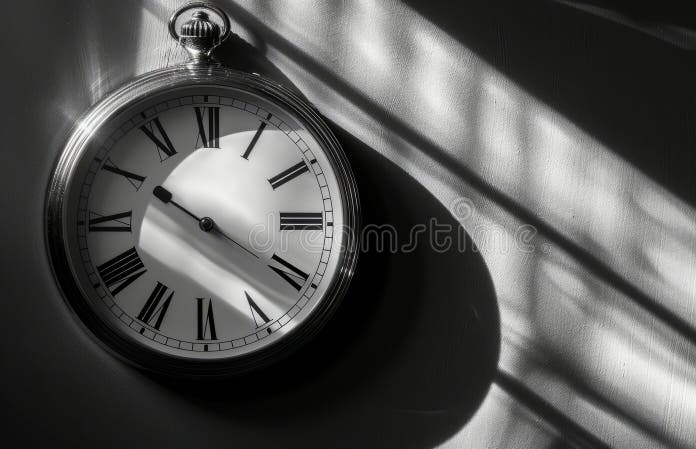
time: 4:20
